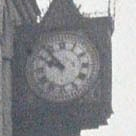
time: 9:53
